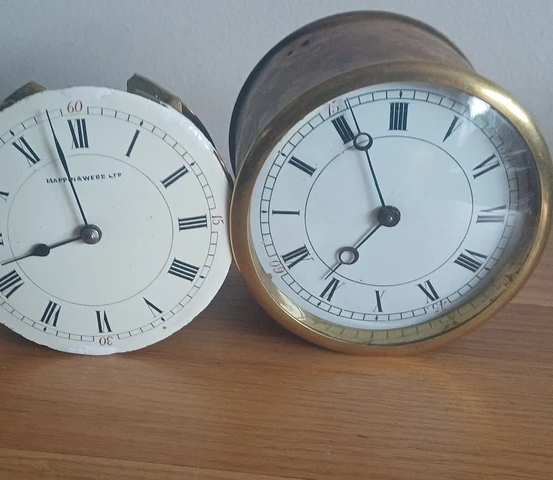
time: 6:56
